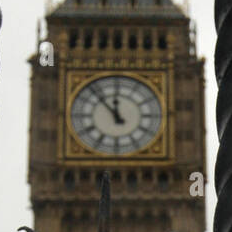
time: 11:53
